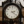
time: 2:21
